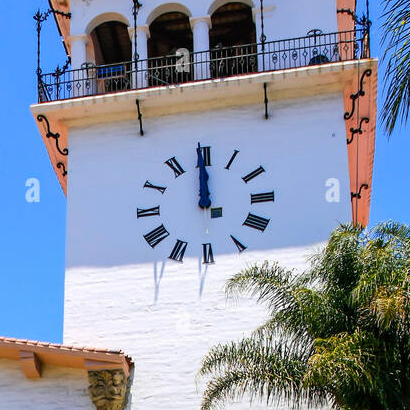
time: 11:59
